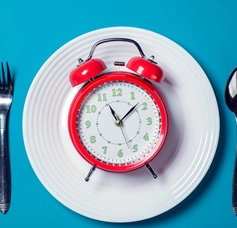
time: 11:08
